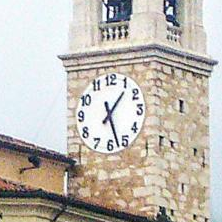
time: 1:27
